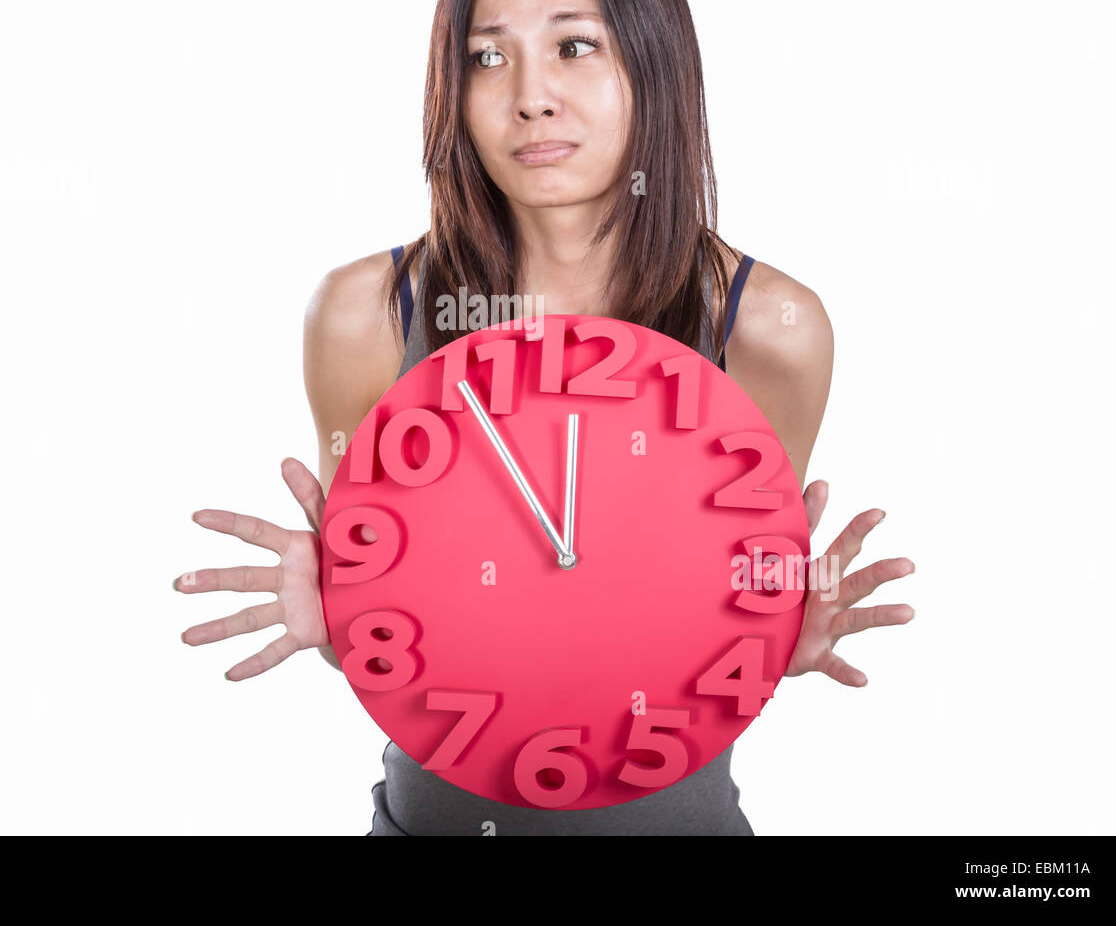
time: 11:54
